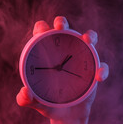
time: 1:45
